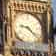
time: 9:22
